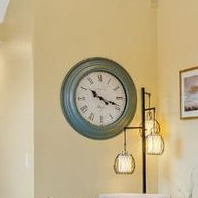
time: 10:18
